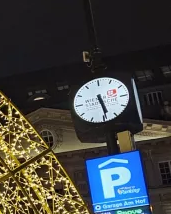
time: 5:28
